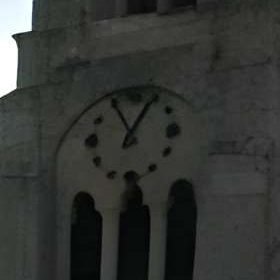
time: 12:54
